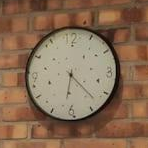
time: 6:23
